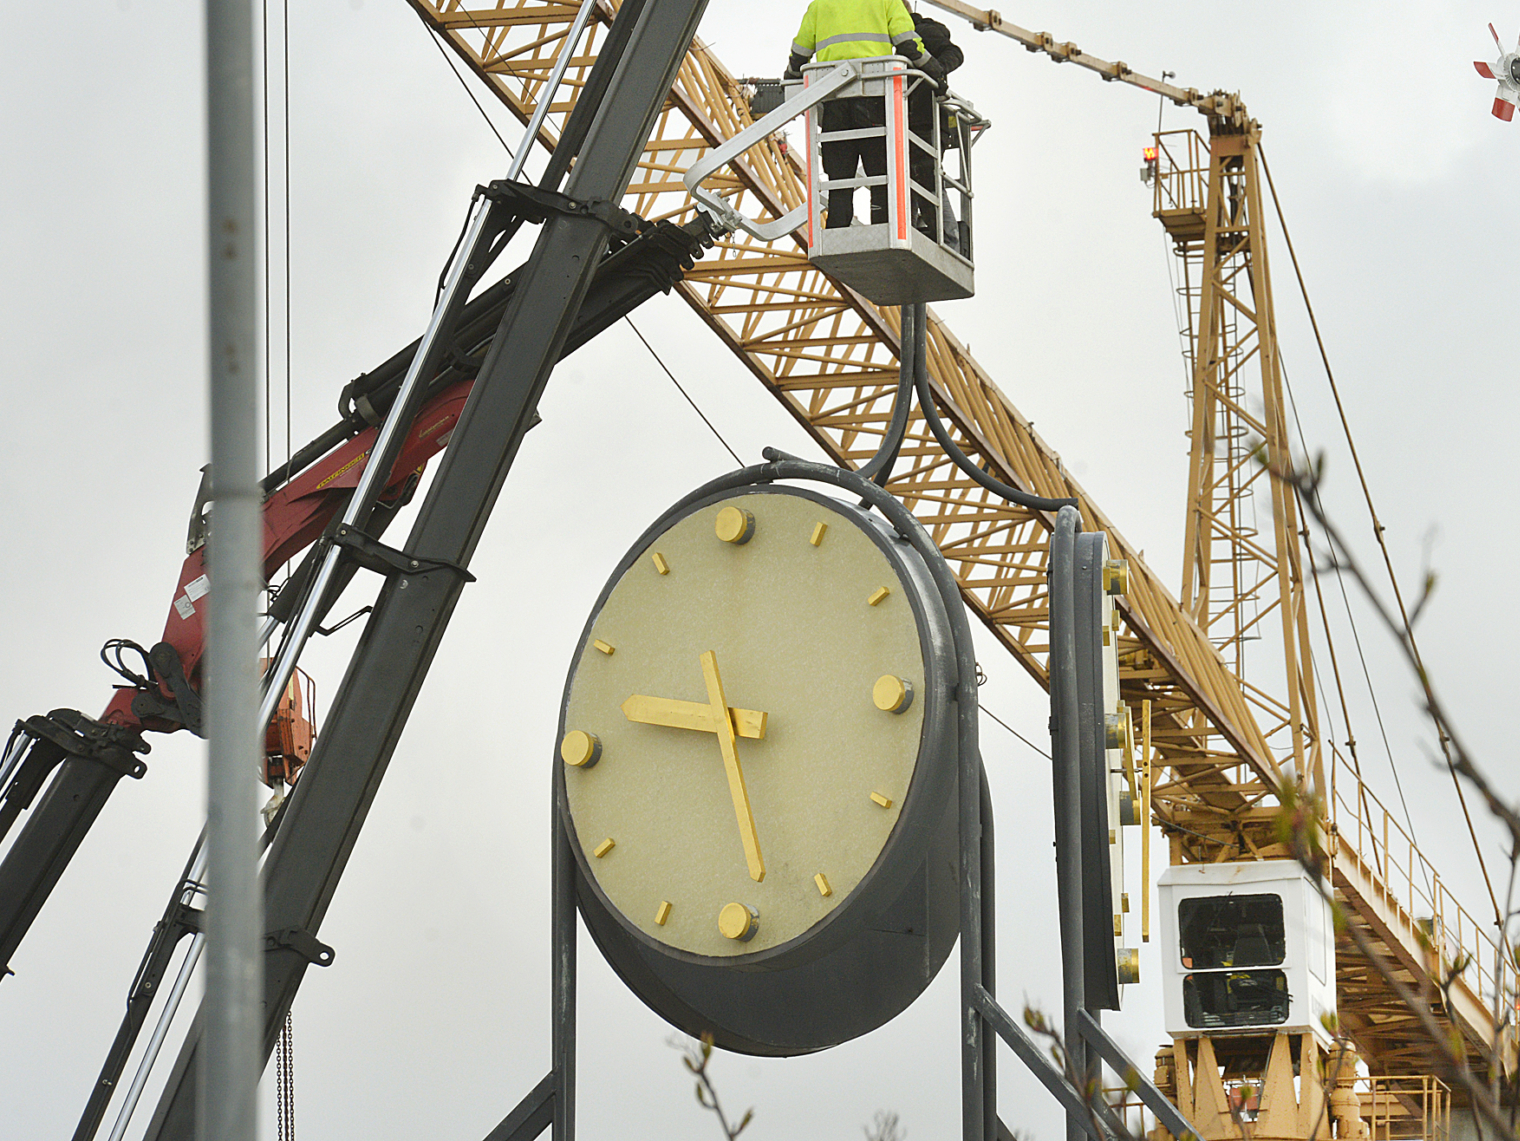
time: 9:28
